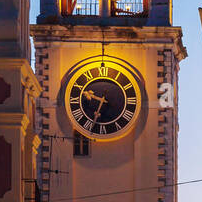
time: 9:33
